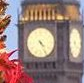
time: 4:25
